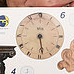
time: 5:28
